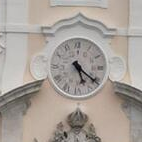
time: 5:21
